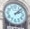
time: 2:07
